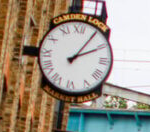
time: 2:05
